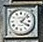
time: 4:07
